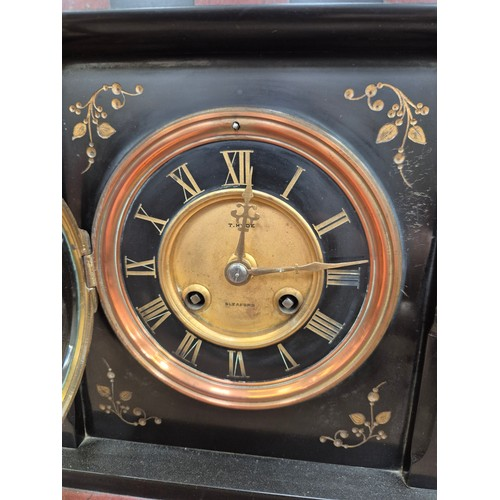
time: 12:14
